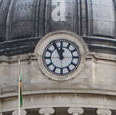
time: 11:55
